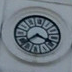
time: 3:38
